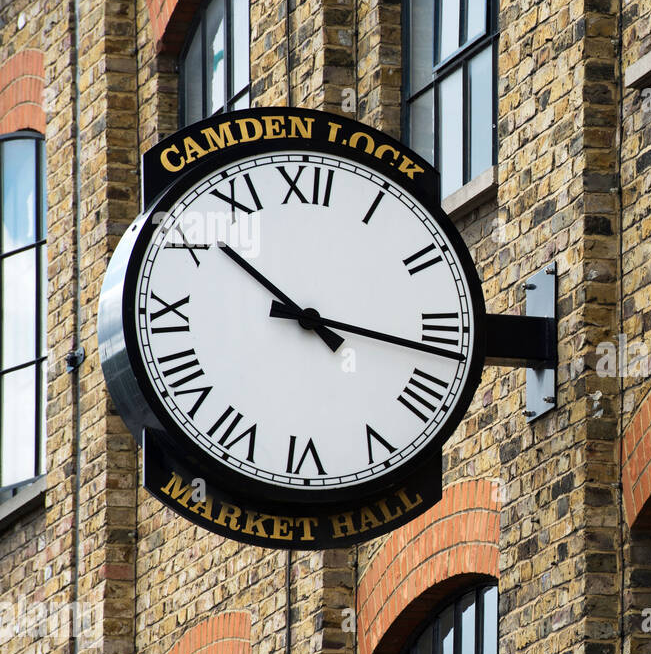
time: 10:16
